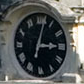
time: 3:01
